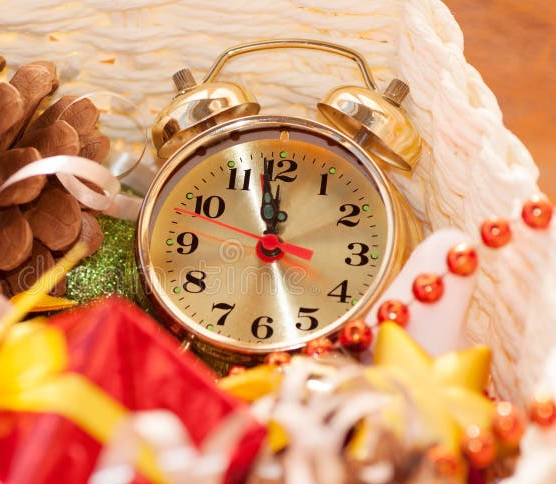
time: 11:58
